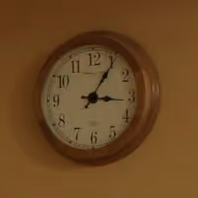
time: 3:05
